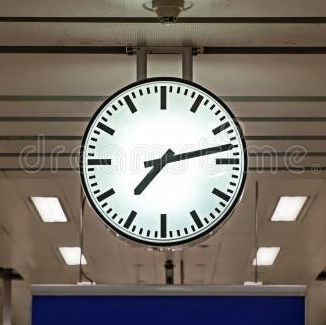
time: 7:13
